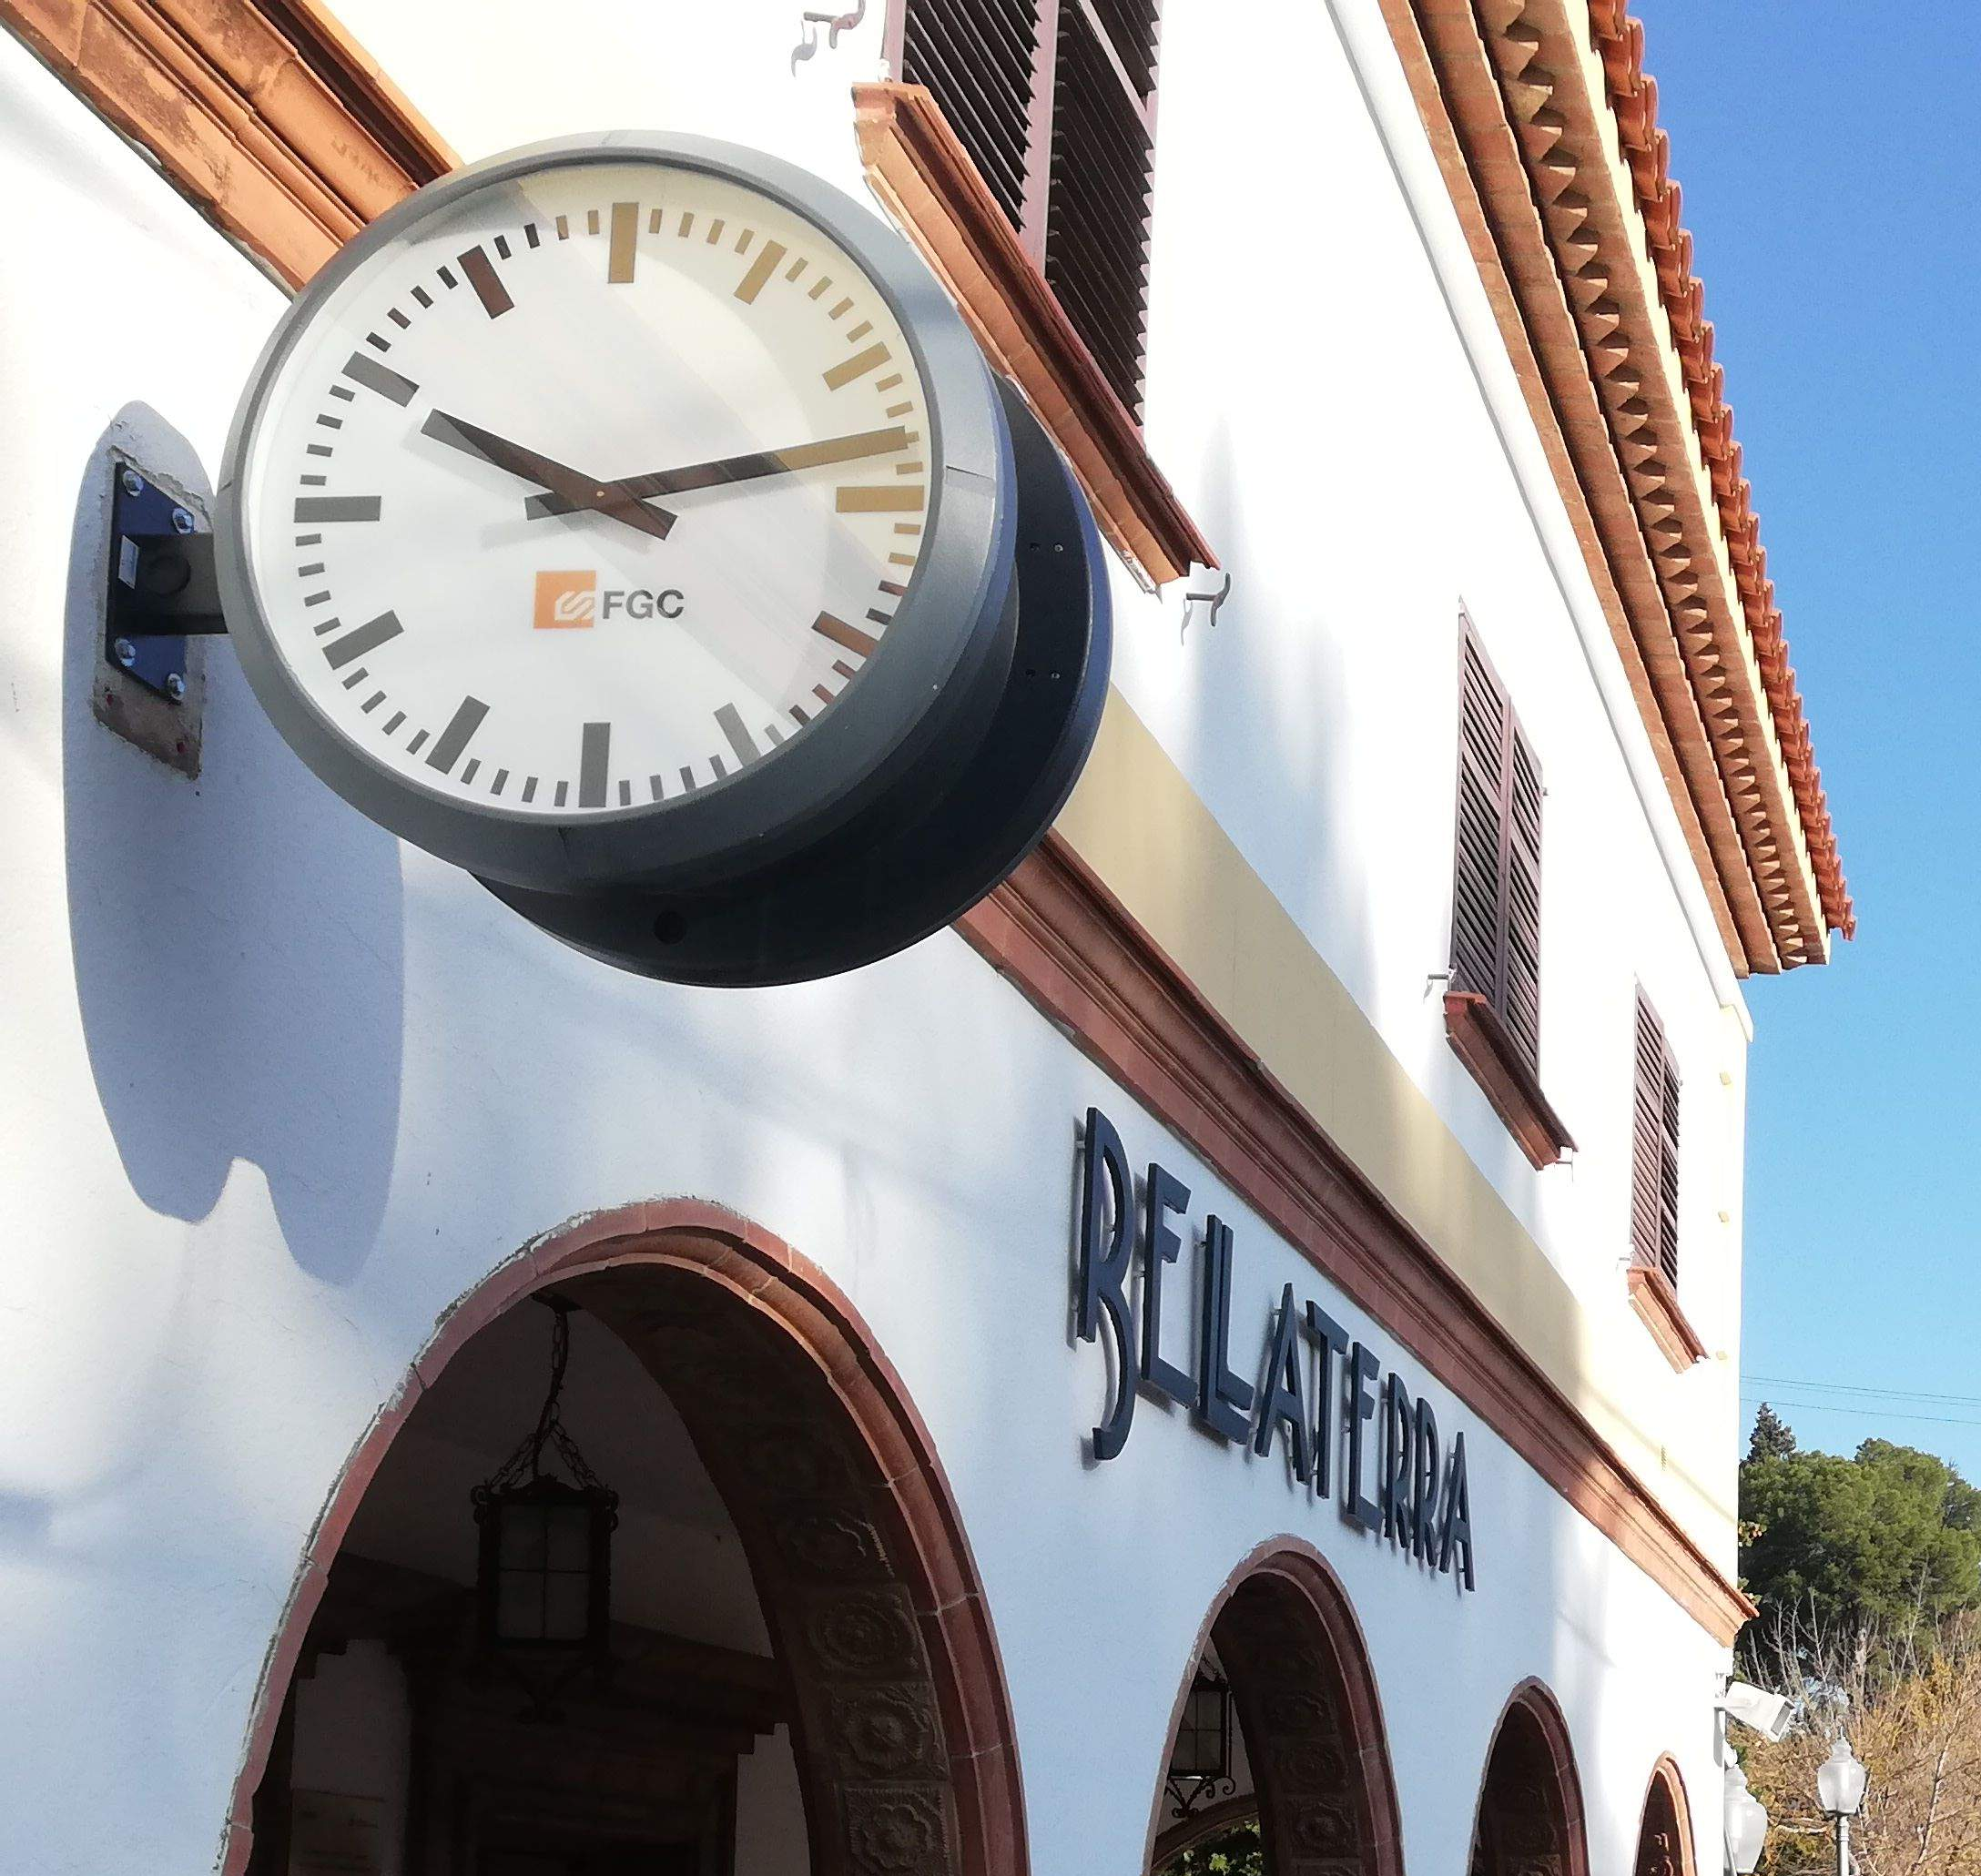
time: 10:13
